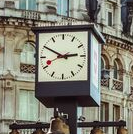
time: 2:50
